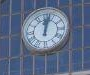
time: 12:02
